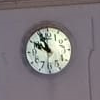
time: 9:56
